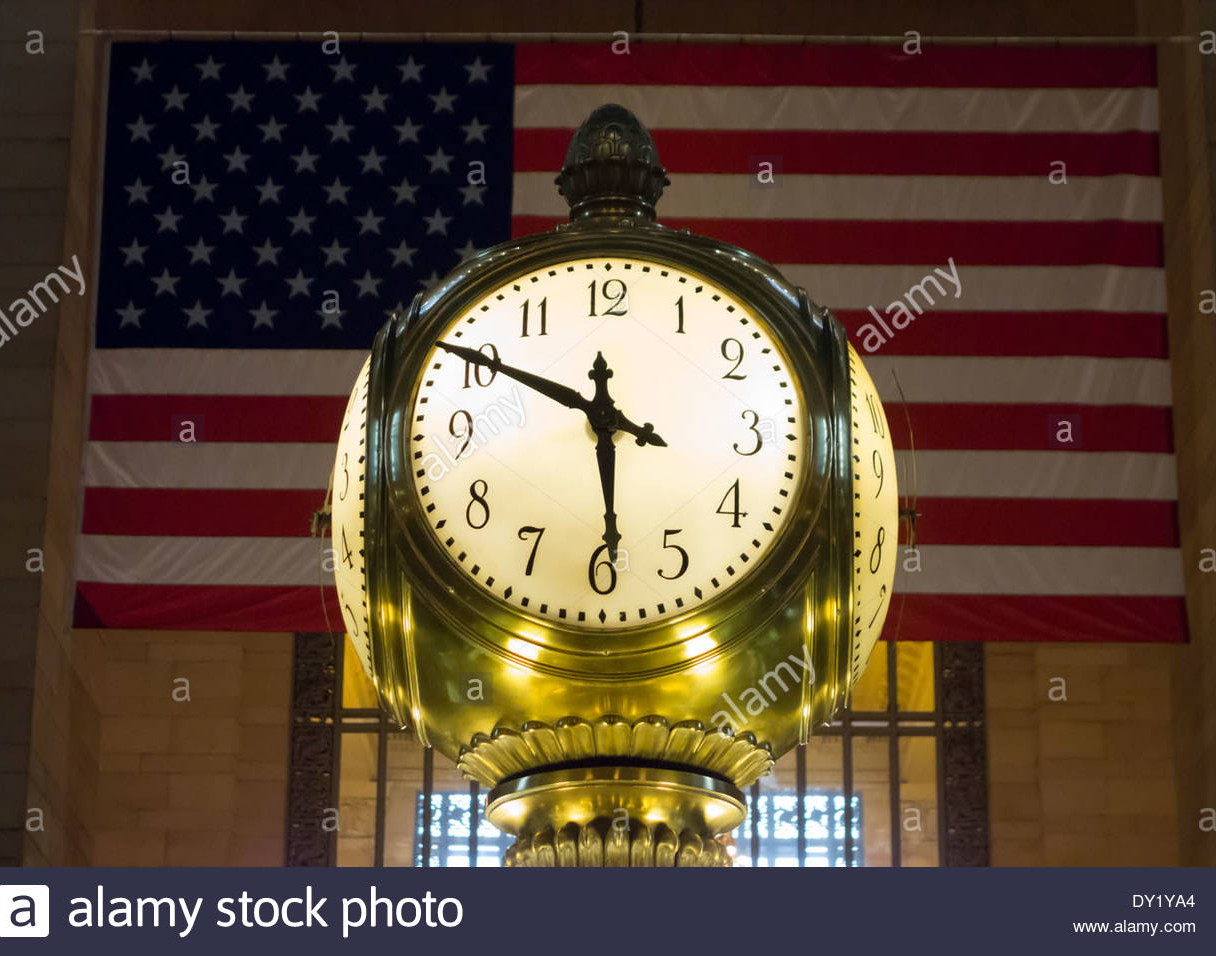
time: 5:49
